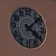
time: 4:07
